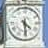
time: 4:29
